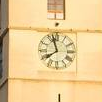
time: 7:57
